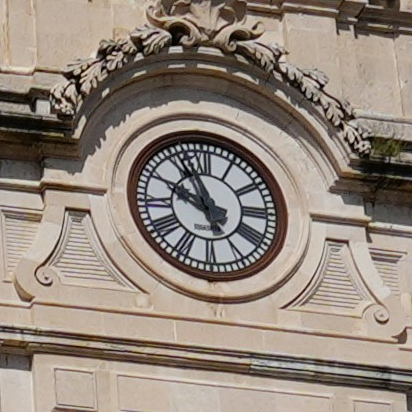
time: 9:56
